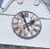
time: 1:56
